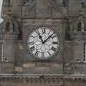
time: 11:07
